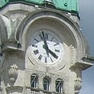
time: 3:57
